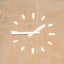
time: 1:44
